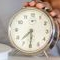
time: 7:30
